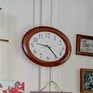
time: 9:23
